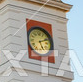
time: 5:11
